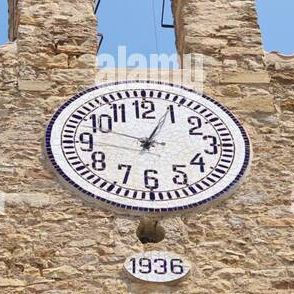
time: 12:47
